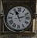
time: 11:12
